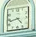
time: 4:42
